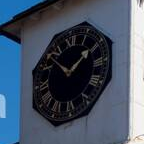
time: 1:52
